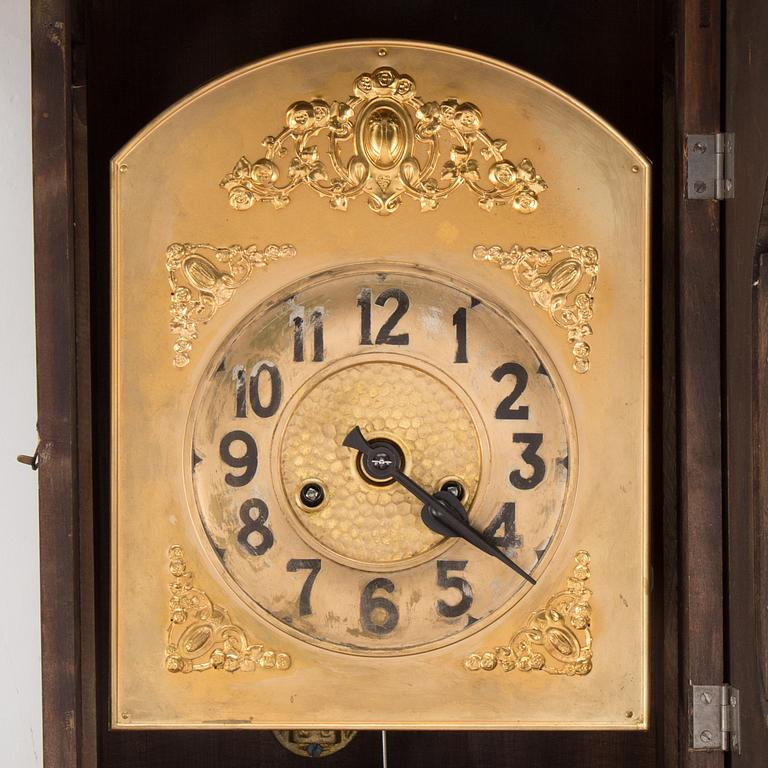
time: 4:20
